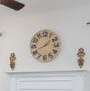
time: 1:40
